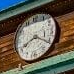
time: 8:20
